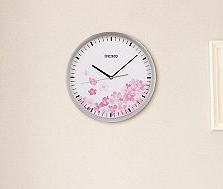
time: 10:08
